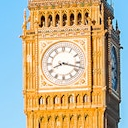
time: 8:17
